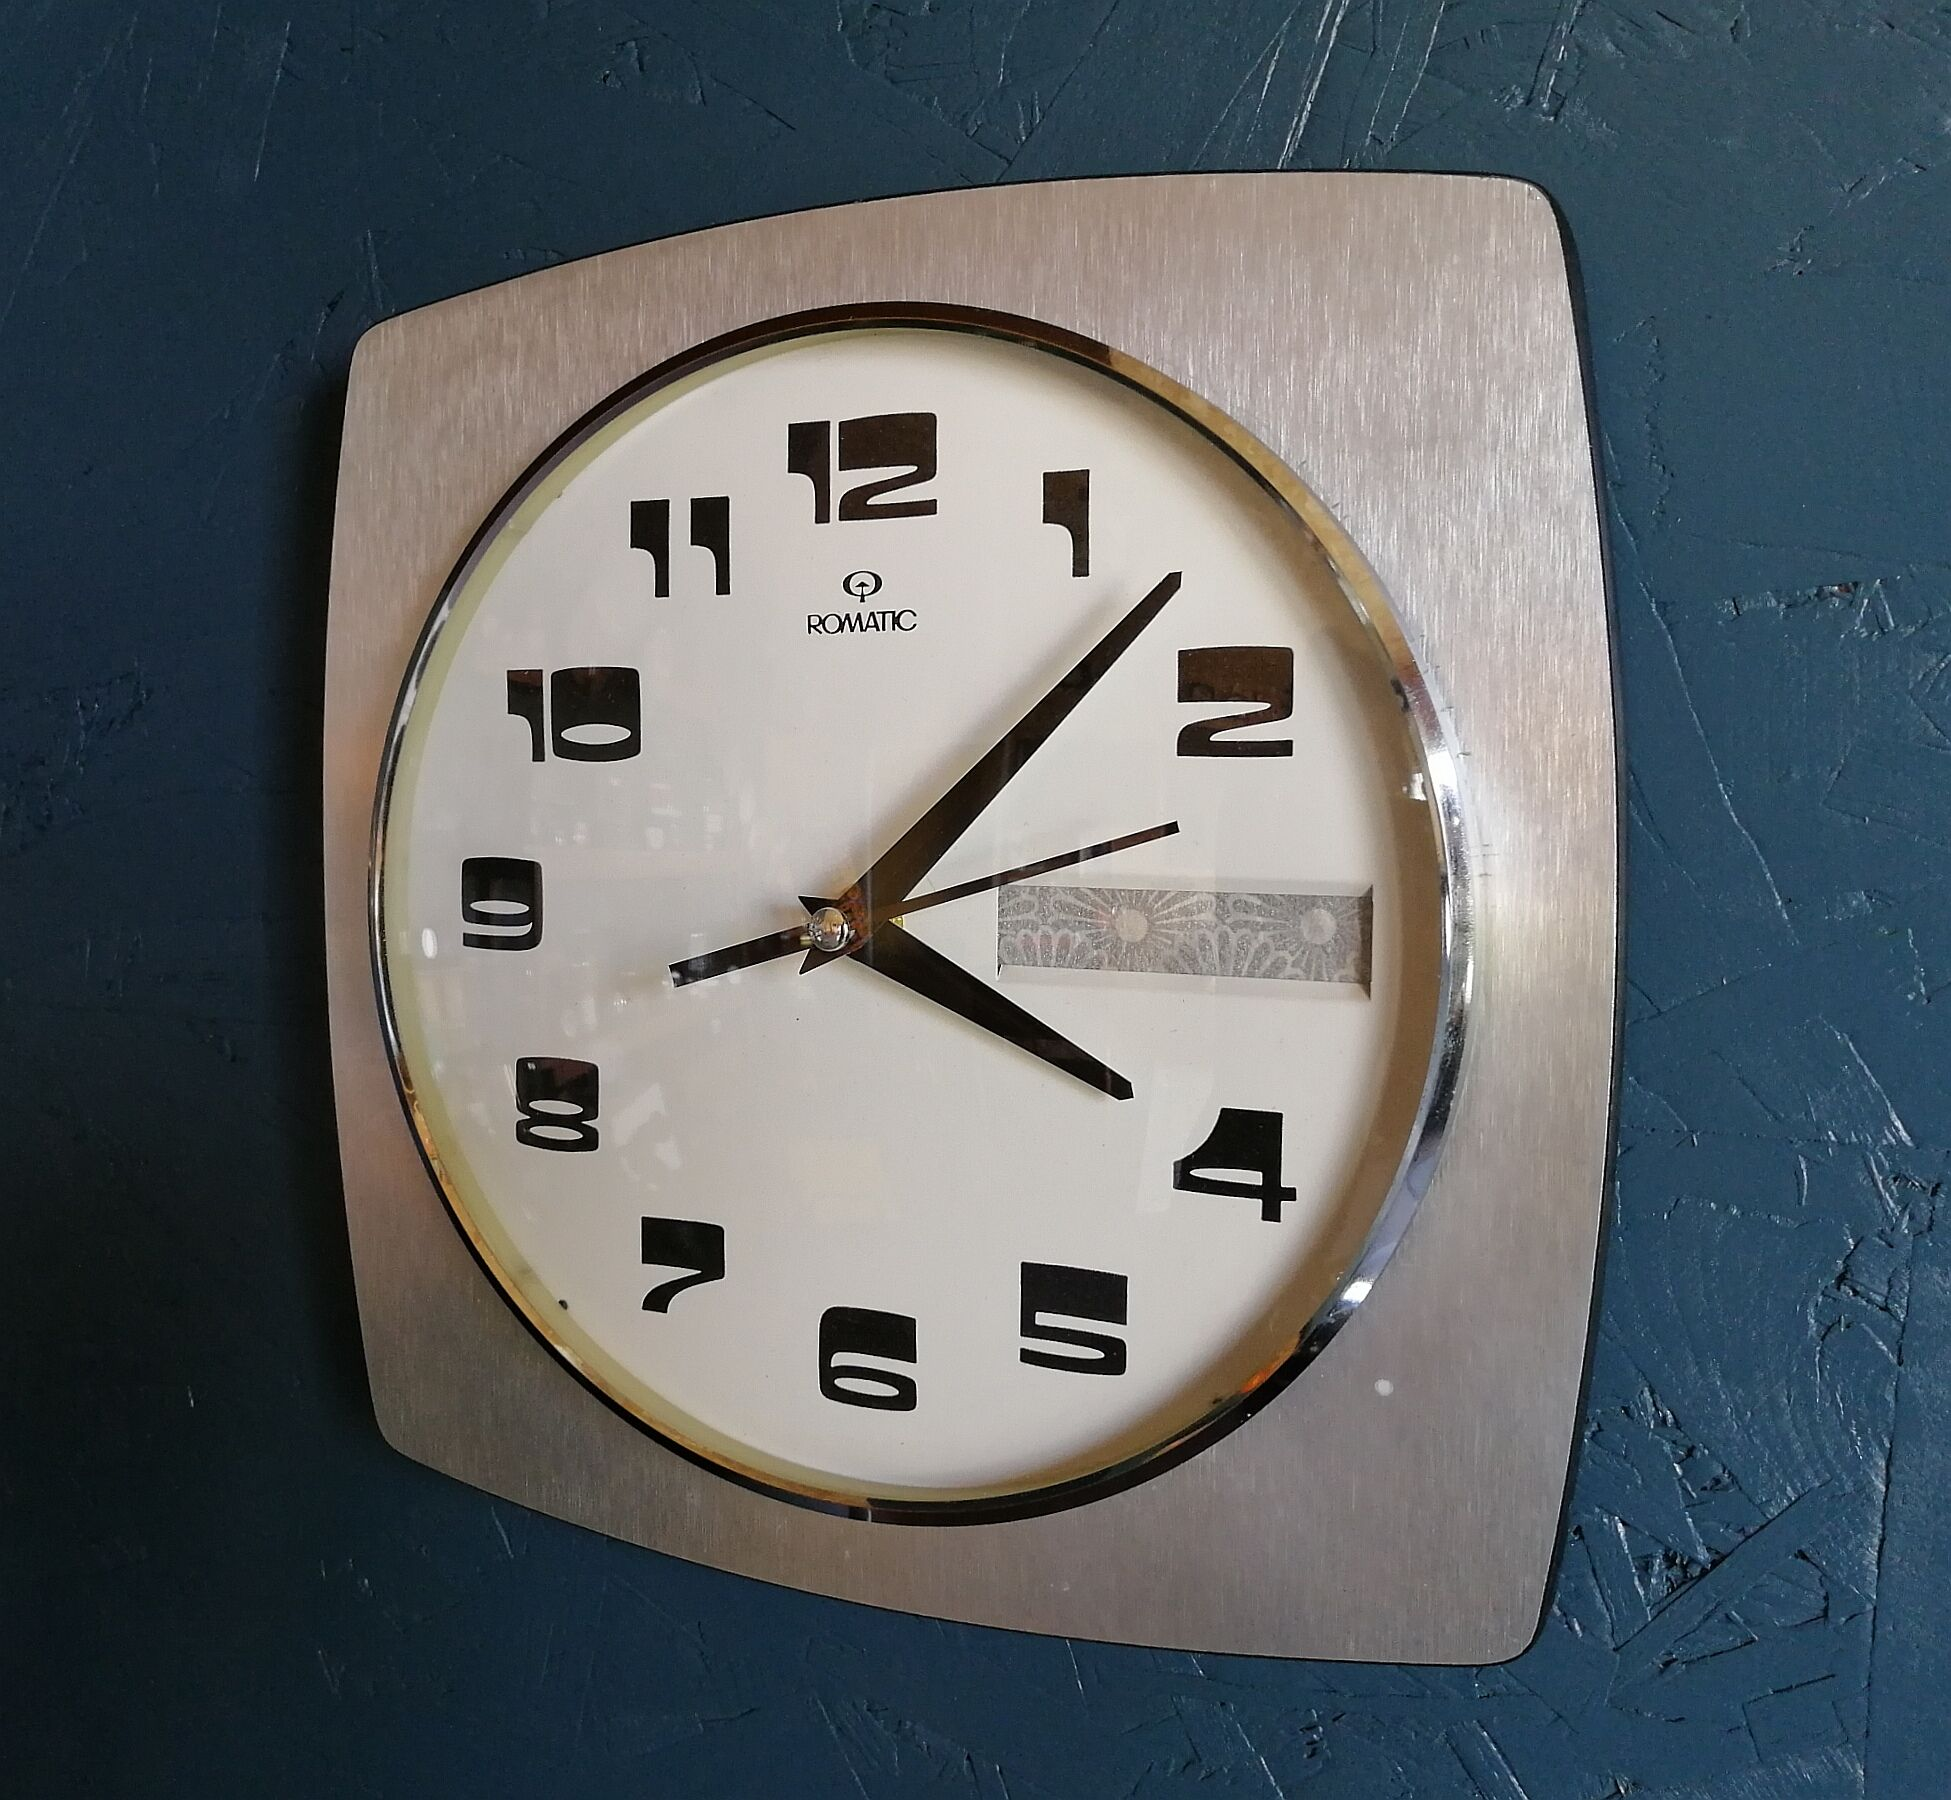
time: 4:07
